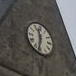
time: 11:32
